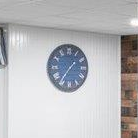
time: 1:36
